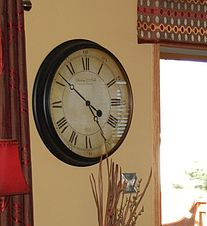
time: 4:51
